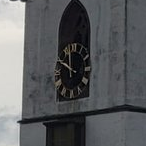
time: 11:49
